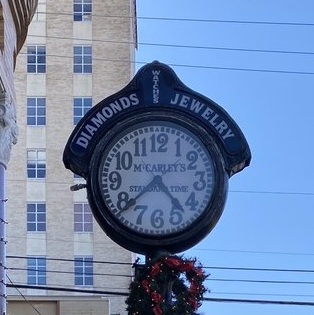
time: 4:38
